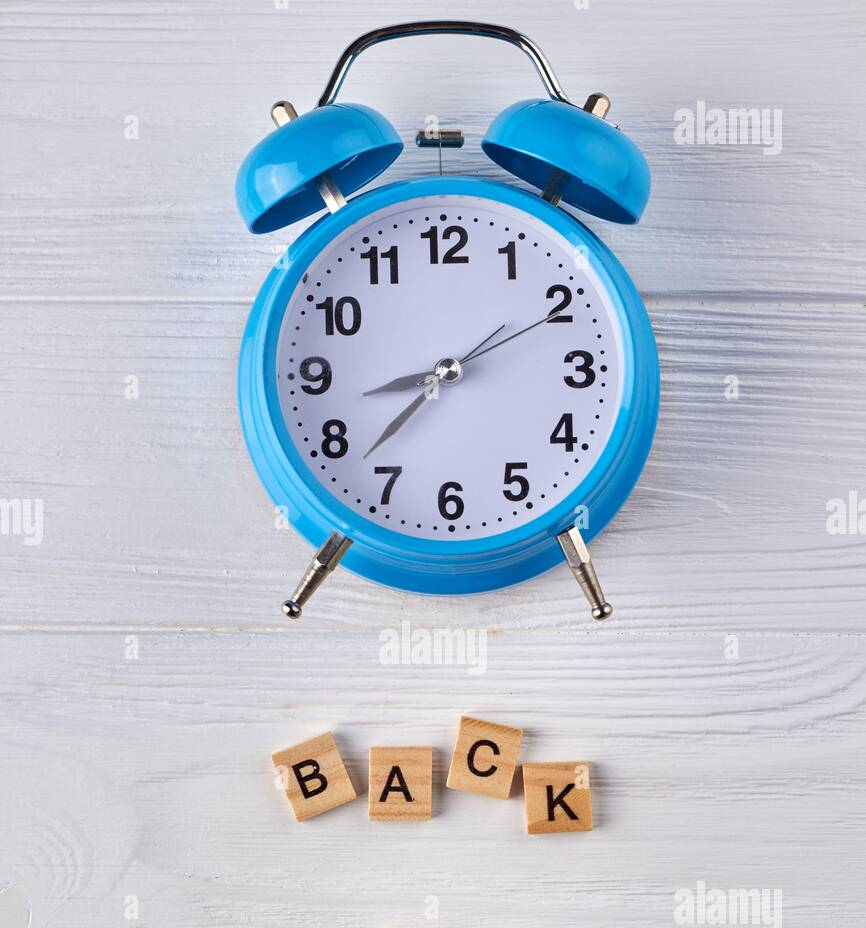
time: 8:37
